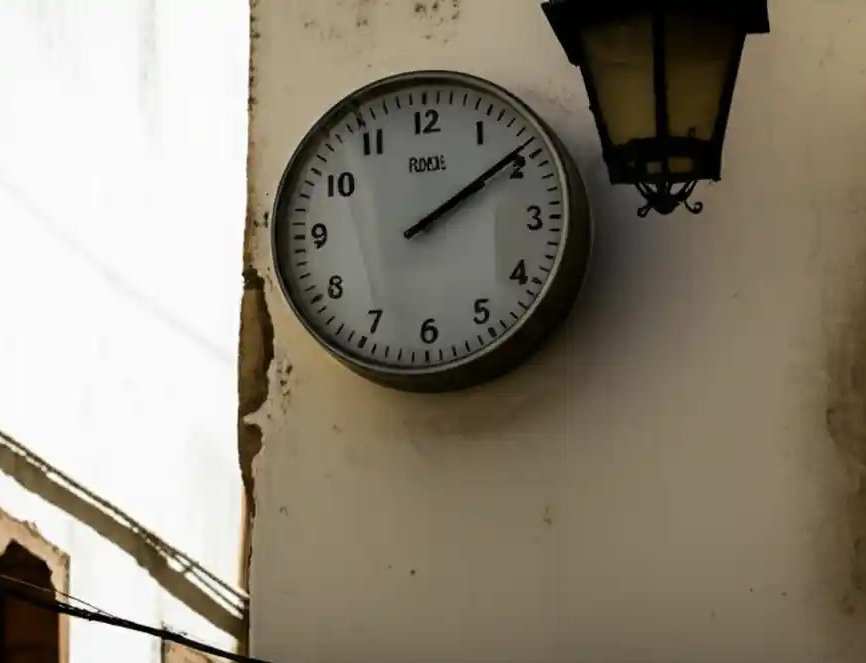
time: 2:09
